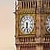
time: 6:28
